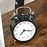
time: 7:16
